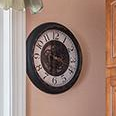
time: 6:18
